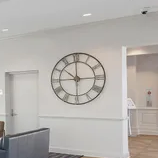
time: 10:14
